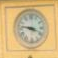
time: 3:46
